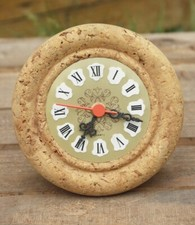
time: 7:17
